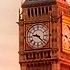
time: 9:22
